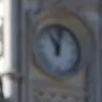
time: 11:02
